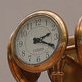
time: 2:19
